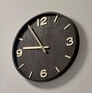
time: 10:46
